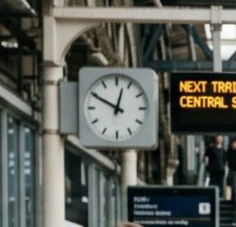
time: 12:49
